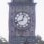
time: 12:41
